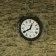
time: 12:40
